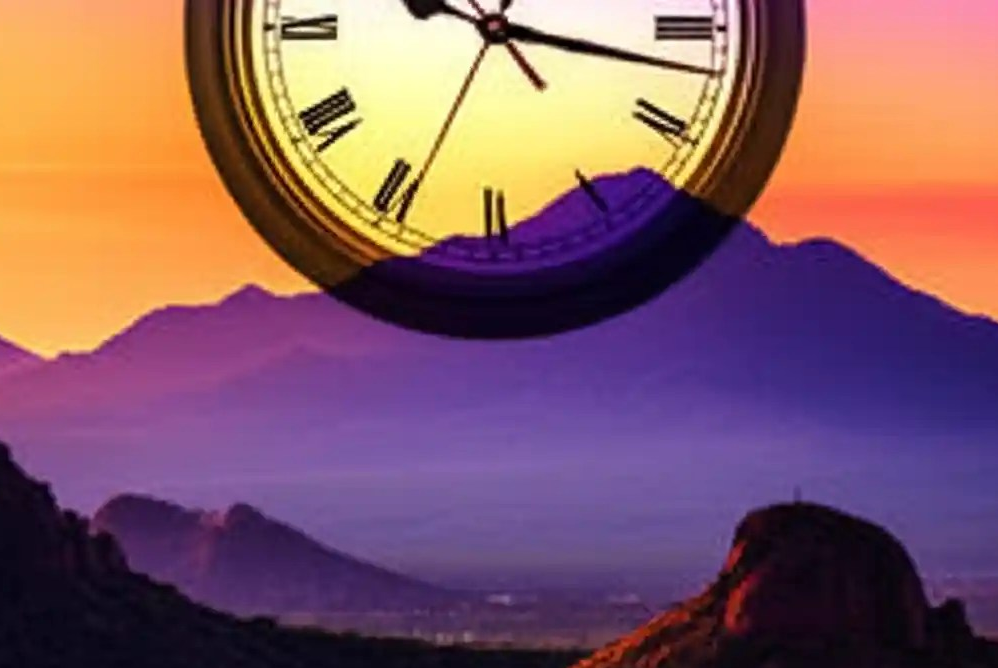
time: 10:17
